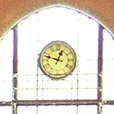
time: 12:47
